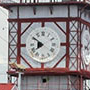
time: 7:50
